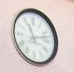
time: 11:12
